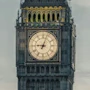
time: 9:03
